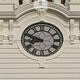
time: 8:48
